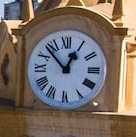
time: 12:52
